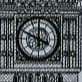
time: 3:48
